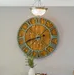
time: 1:42
